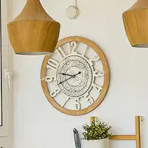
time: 9:42
